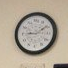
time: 9:09
